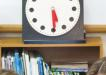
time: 5:29
